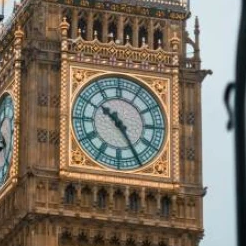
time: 10:24
